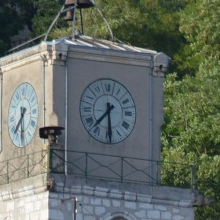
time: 7:29
